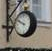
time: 9:48
